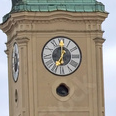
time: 7:00
